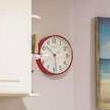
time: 10:28
